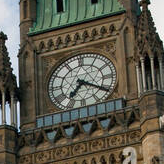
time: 7:20
